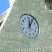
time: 12:05
